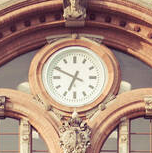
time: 6:49
